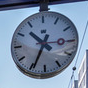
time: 10:34
